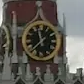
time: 11:37
